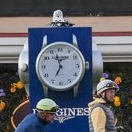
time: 6:57
